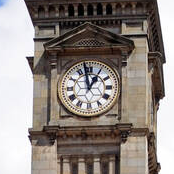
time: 12:58
